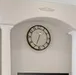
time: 6:33
